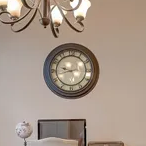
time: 9:42
